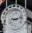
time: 9:12
